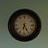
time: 6:25
